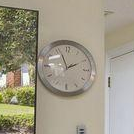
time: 1:56
